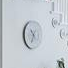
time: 10:34
